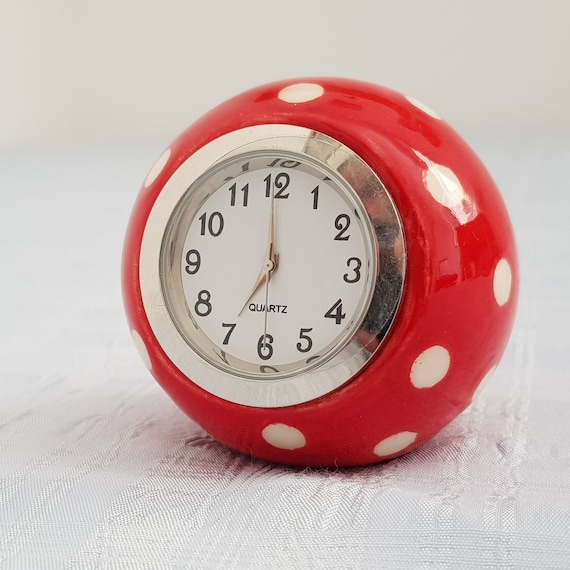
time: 6:59
